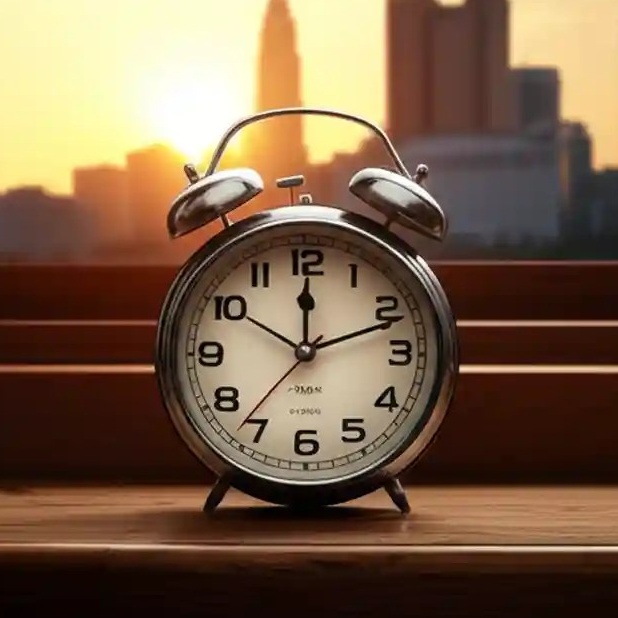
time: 12:11
